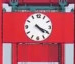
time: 4:19
